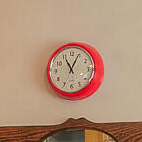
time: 11:04
